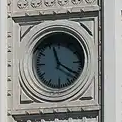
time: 11:20
